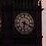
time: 6:18
